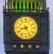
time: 8:25
